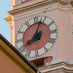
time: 8:03
